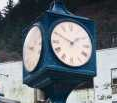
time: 1:49
